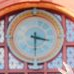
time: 3:30
